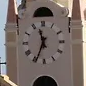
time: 11:34
